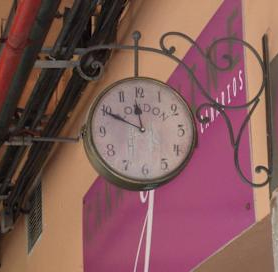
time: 11:49
